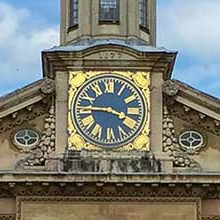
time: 3:45
